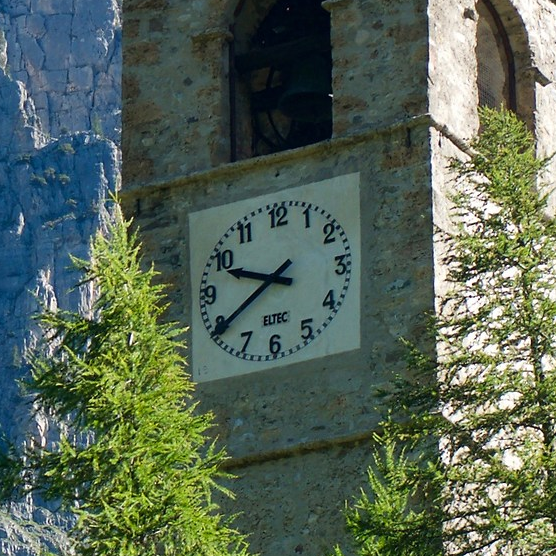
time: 9:39
